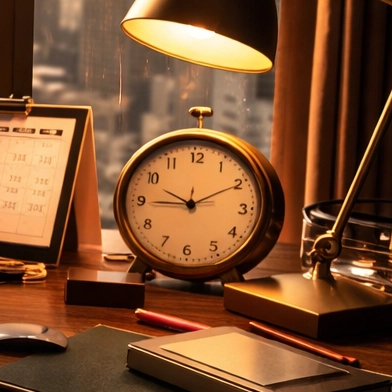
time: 9:44
